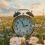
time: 2:56
